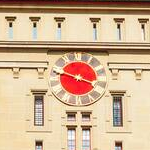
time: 3:48
